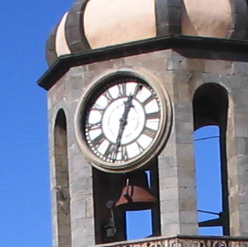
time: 12:32
